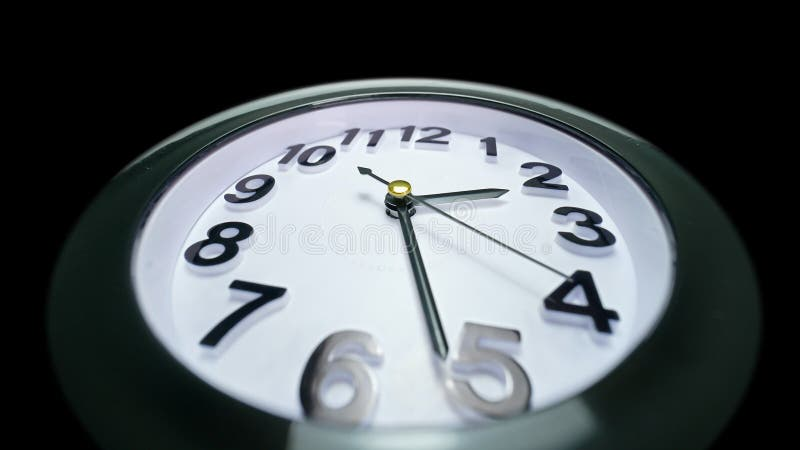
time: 2:26
